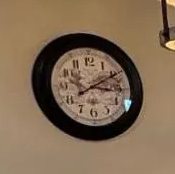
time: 3:09
